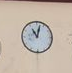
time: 11:02
